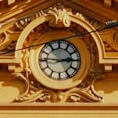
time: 2:45
